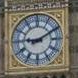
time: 9:10
